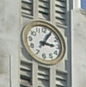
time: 3:04
